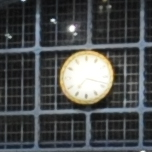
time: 7:18
